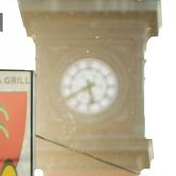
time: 5:40
